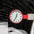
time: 12:34
